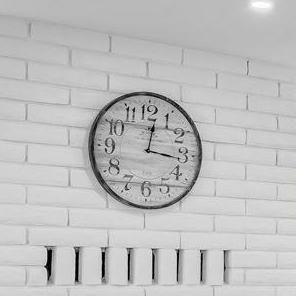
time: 12:16
